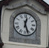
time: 12:26
